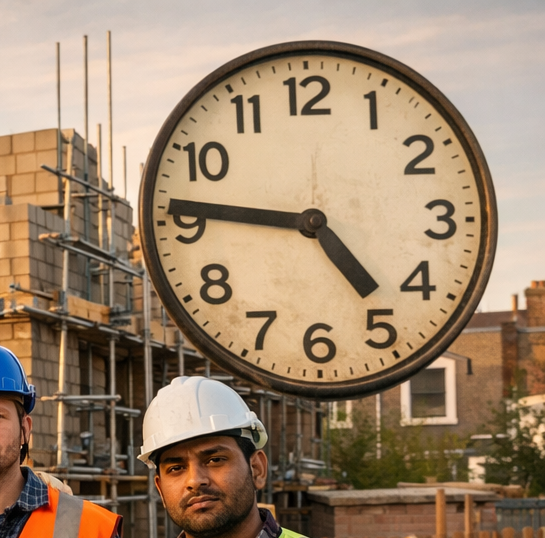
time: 4:46
